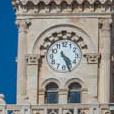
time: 4:26
